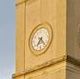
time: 7:23
